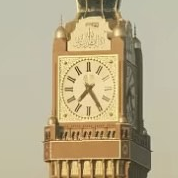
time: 7:24
